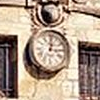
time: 12:14
